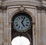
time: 5:03
